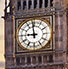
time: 8:58
